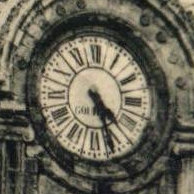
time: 4:26
